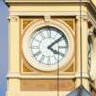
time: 4:08
